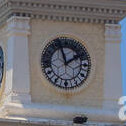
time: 1:57
